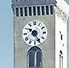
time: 10:24
